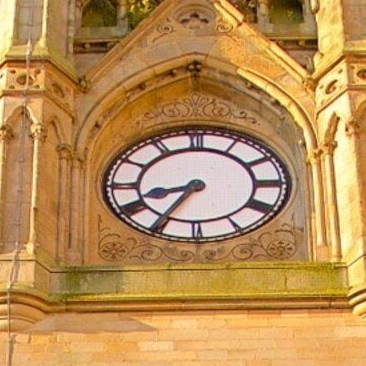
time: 8:35
